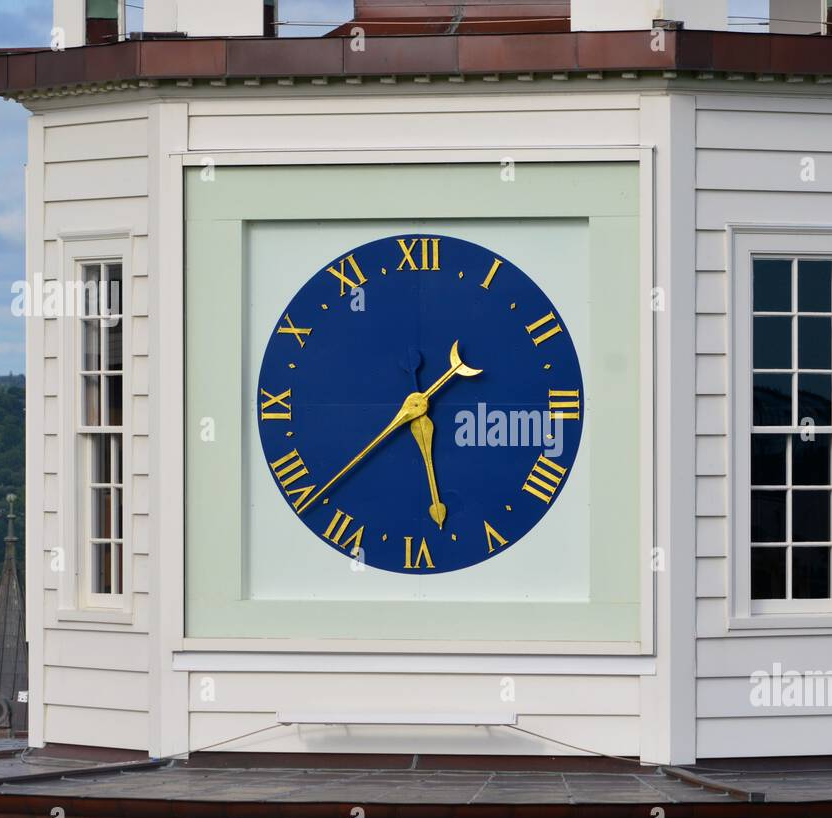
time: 5:38
